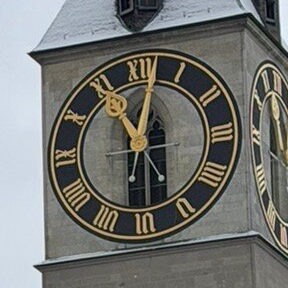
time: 11:01
